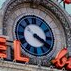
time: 3:50
